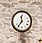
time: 11:36
